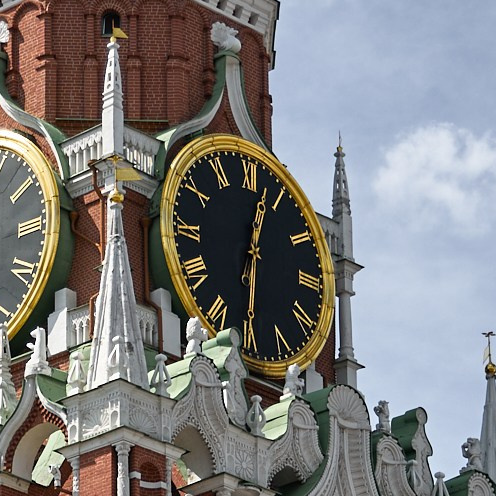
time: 12:30
